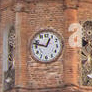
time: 12:47
